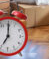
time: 7:00
